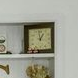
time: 12:58
